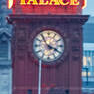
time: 3:54
